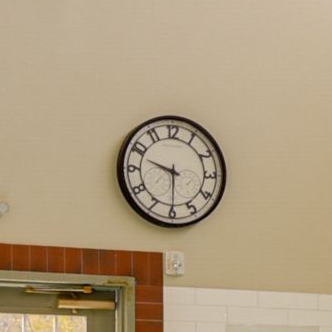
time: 9:29
